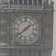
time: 1:38
